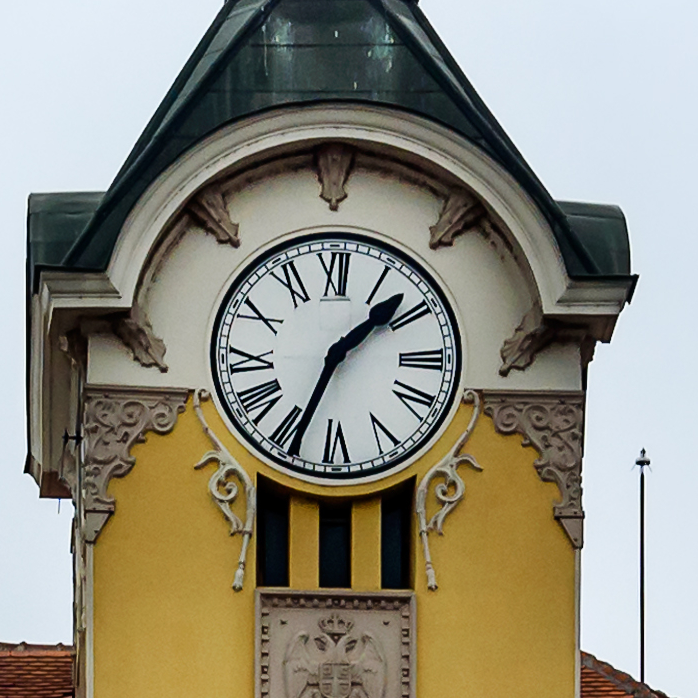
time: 1:33
